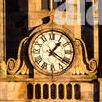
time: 1:20
